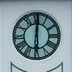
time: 6:00
